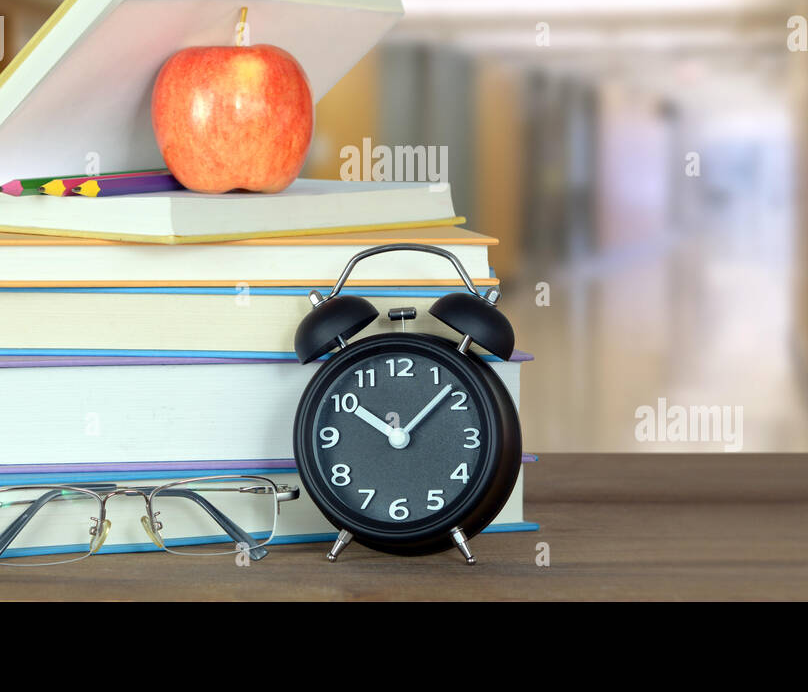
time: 10:07
